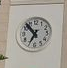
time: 6:53
